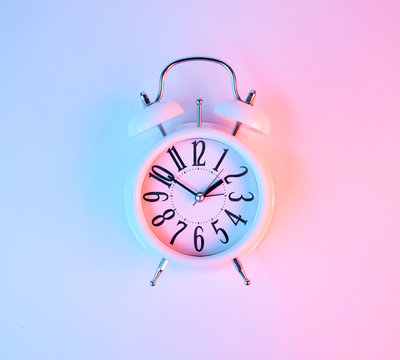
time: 1:50
